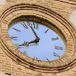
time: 7:57
